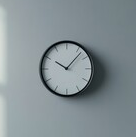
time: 10:07
